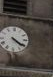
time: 4:20
